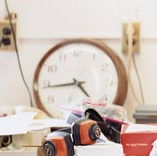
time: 4:44
